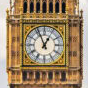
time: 12:56
